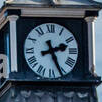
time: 2:26
